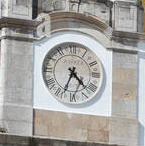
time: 4:33
